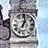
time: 1:02
